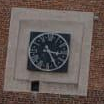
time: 3:25
